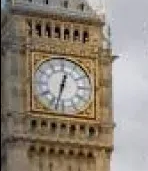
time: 12:32
